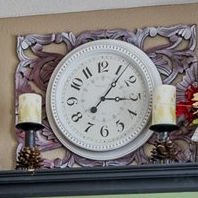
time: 3:06
